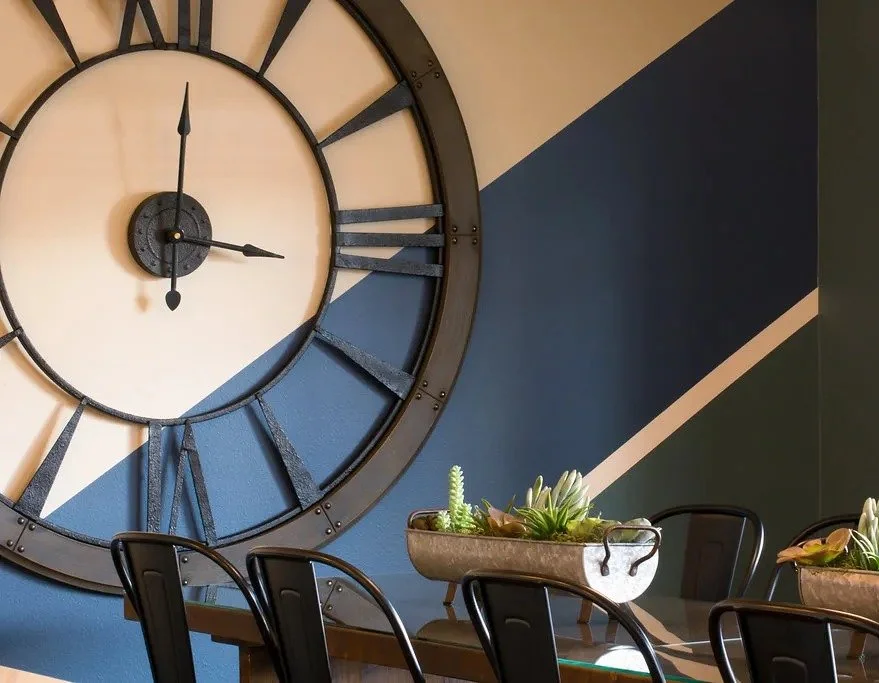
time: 3:01
